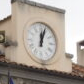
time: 12:03
